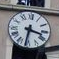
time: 3:31
